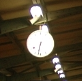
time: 6:32
